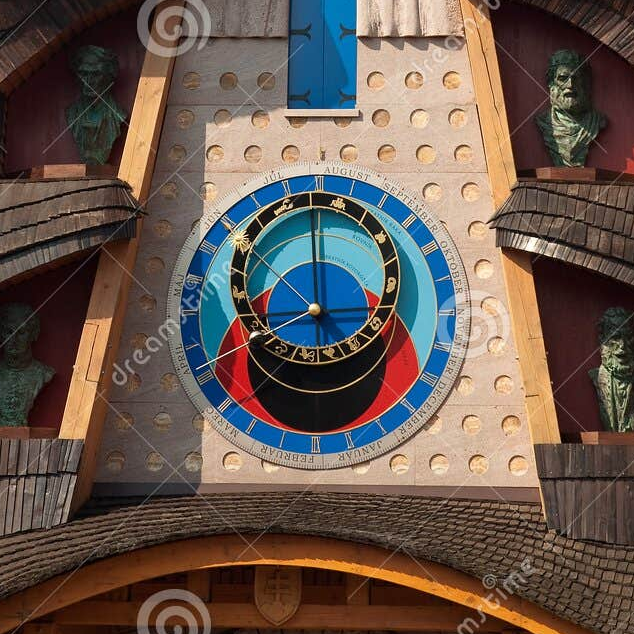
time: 7:59
